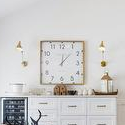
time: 12:07
